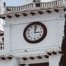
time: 3:01
